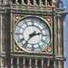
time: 2:36
